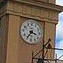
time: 3:35
